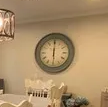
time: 6:00
